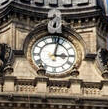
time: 3:02
